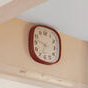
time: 6:47
